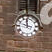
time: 11:47
